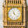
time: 11:22
